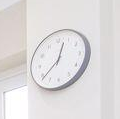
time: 12:38
